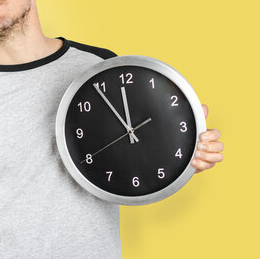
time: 11:54
